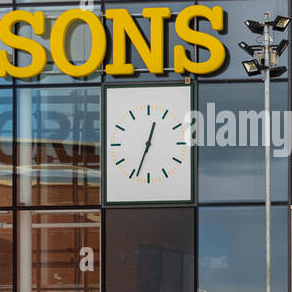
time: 12:33
